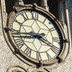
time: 3:43
